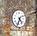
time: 4:33
